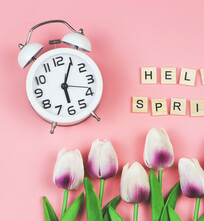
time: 6:05
